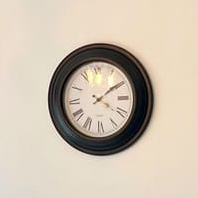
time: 4:09
